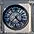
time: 4:37
